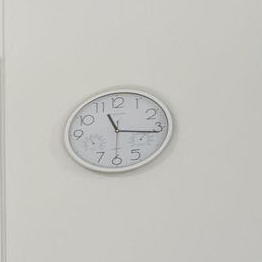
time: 11:16
